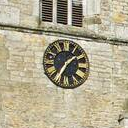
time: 1:35
